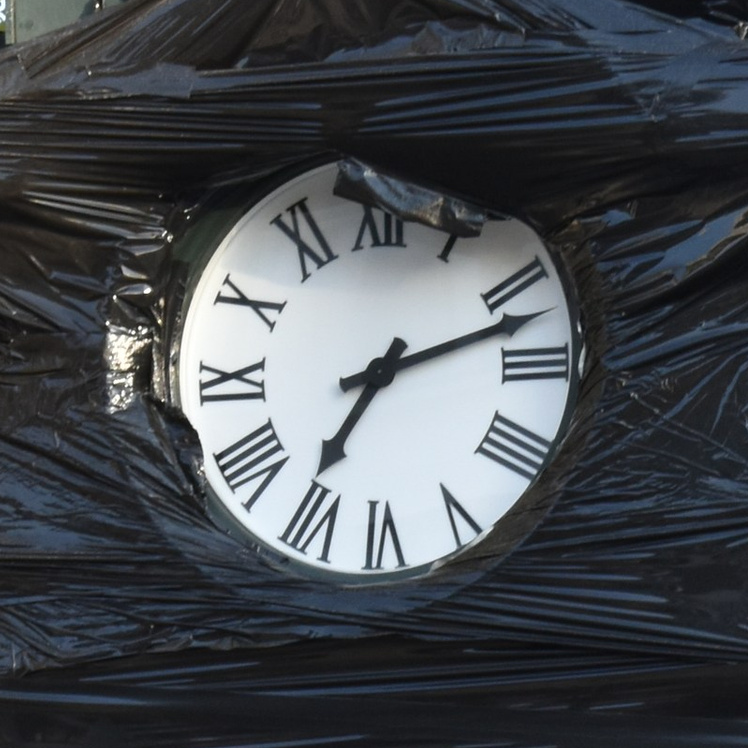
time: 7:12
